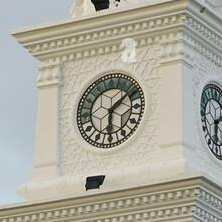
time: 6:08
